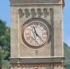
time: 11:22
